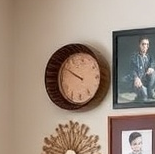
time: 9:50
